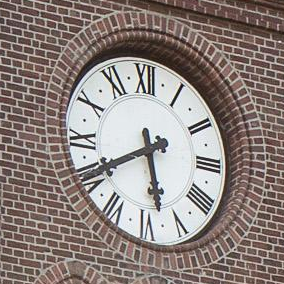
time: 5:40
